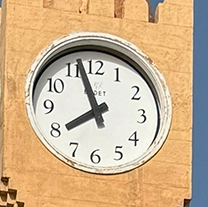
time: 7:57
